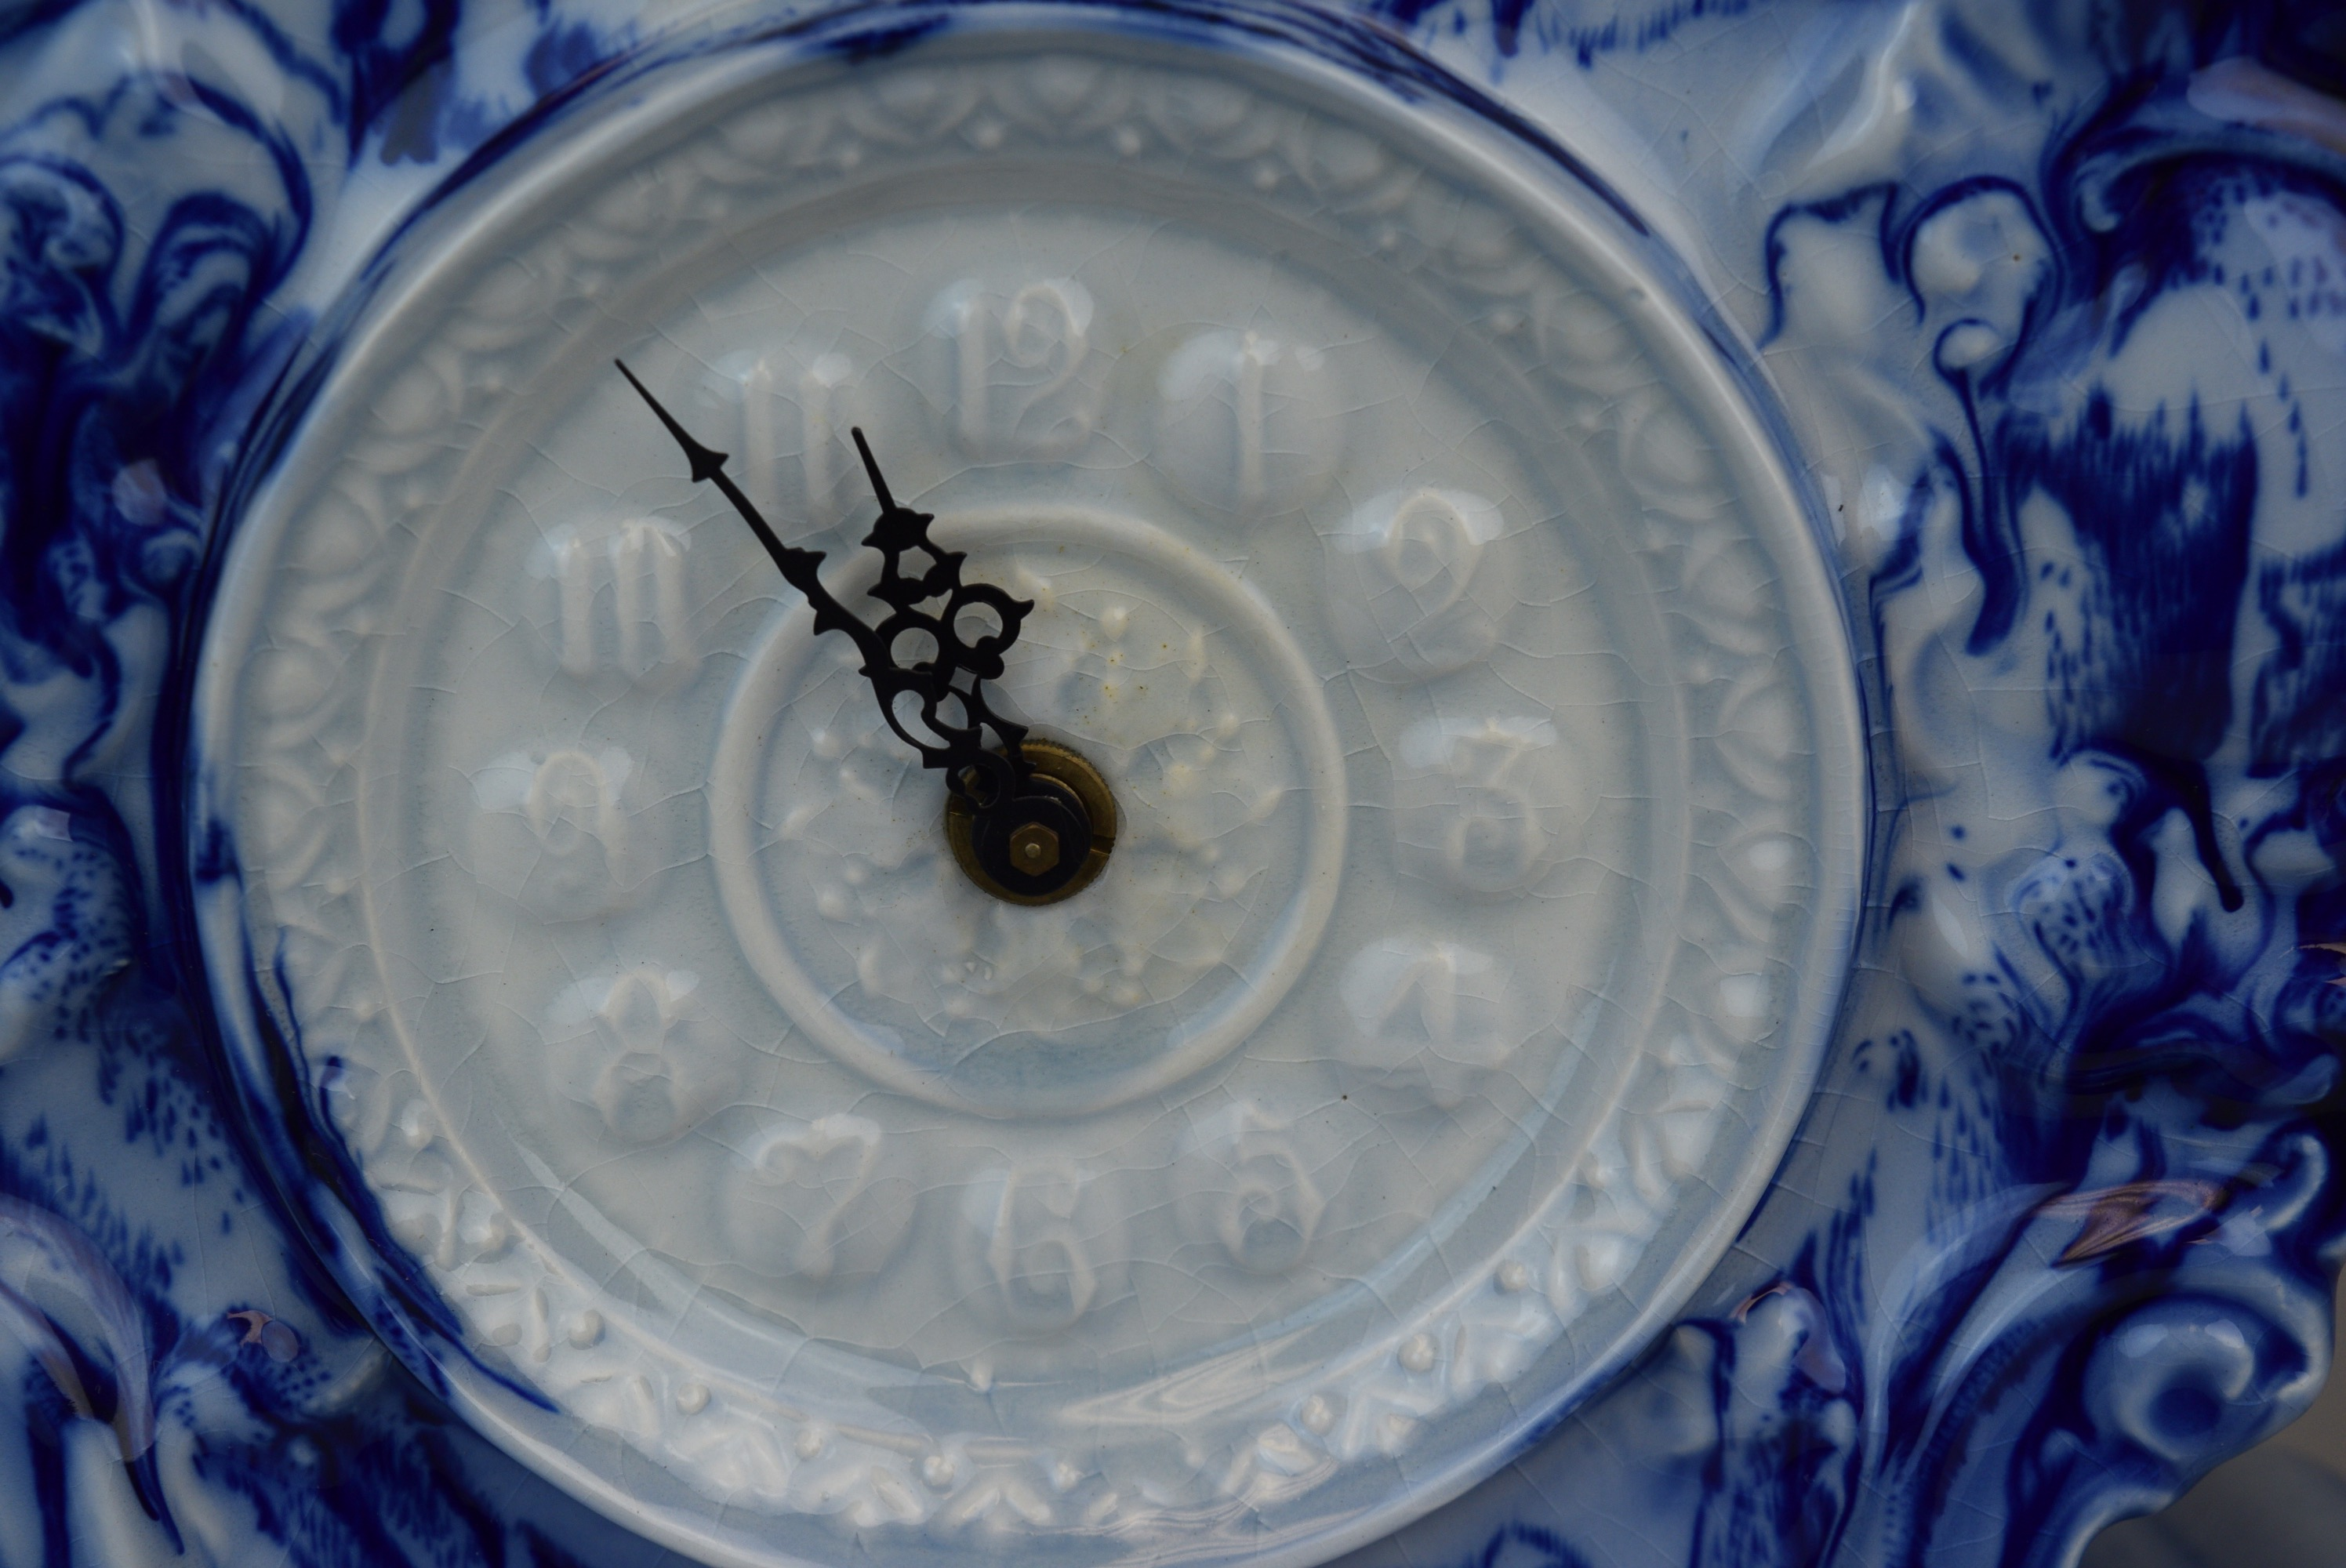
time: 11:54
